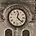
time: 12:22
